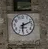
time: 6:11
